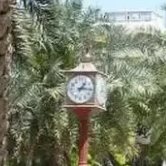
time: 1:16
